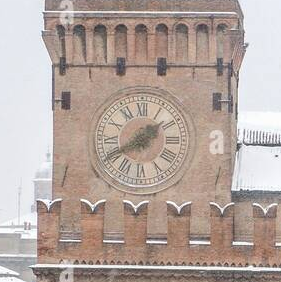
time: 1:40
